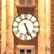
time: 5:26
